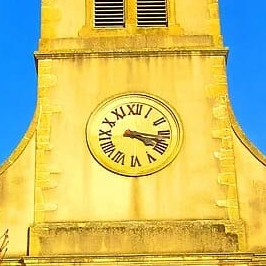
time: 4:16
